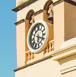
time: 6:18
